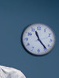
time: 11:23
